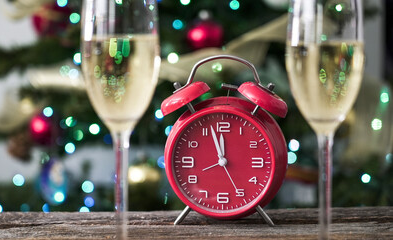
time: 11:56
